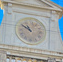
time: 10:50
